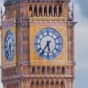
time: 5:36
